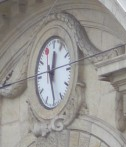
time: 12:28
